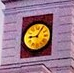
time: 9:05
